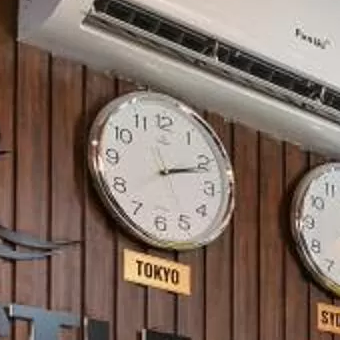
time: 2:11
